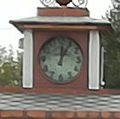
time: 12:04
